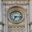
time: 7:15
